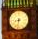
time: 8:32
